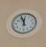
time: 11:56
